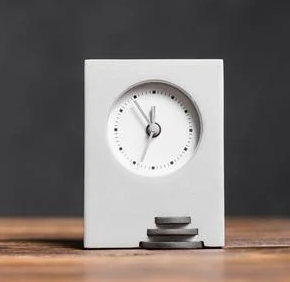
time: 12:33
